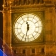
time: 11:32
